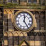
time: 12:24
